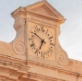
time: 6:50
